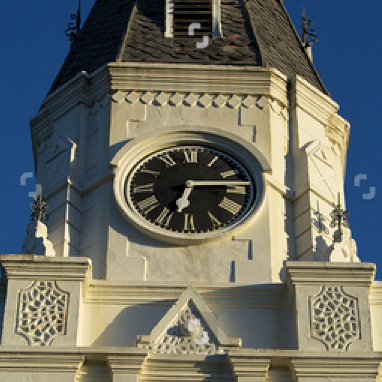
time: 6:14
